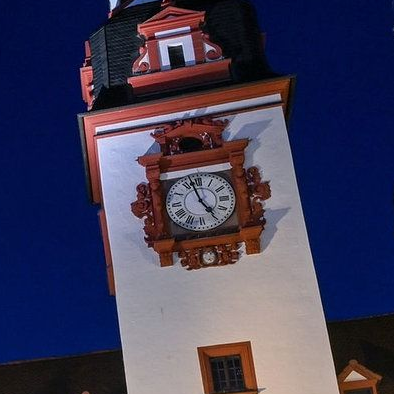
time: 4:57
